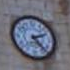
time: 2:23
